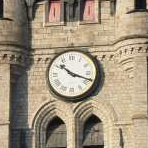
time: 10:18
